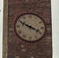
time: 3:49
